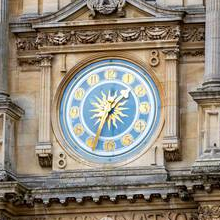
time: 1:34
